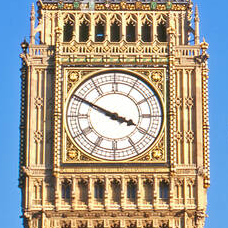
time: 3:49
